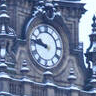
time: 9:46
